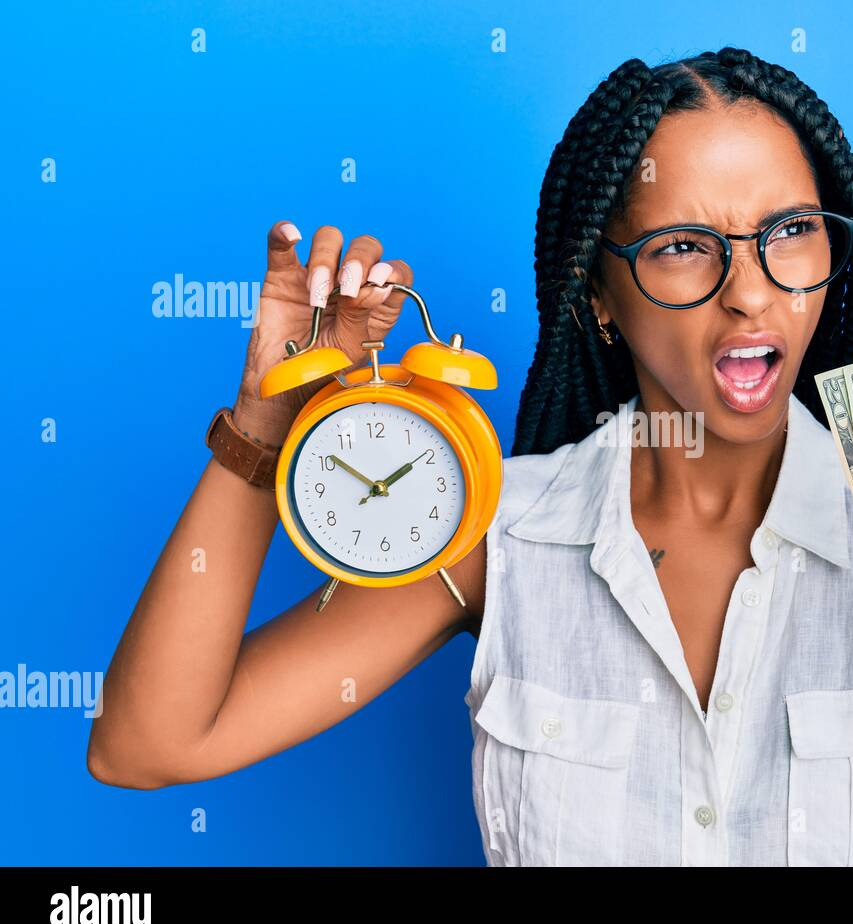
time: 1:50
